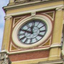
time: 11:48
